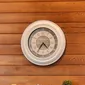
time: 4:35
